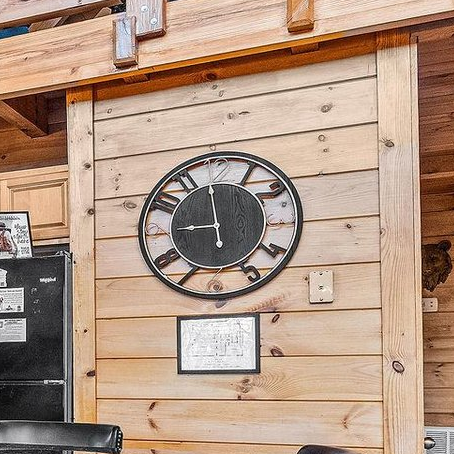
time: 8:59
